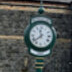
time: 11:38
